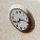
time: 7:15
